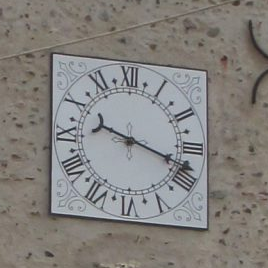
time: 9:17
